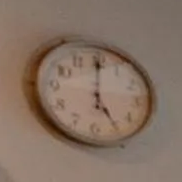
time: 5:00
